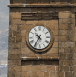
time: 10:35
